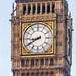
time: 8:40
